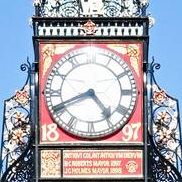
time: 4:41
